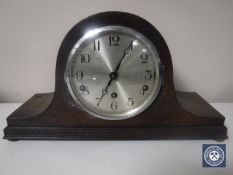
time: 7:04
